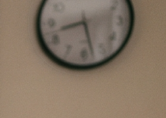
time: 8:27
